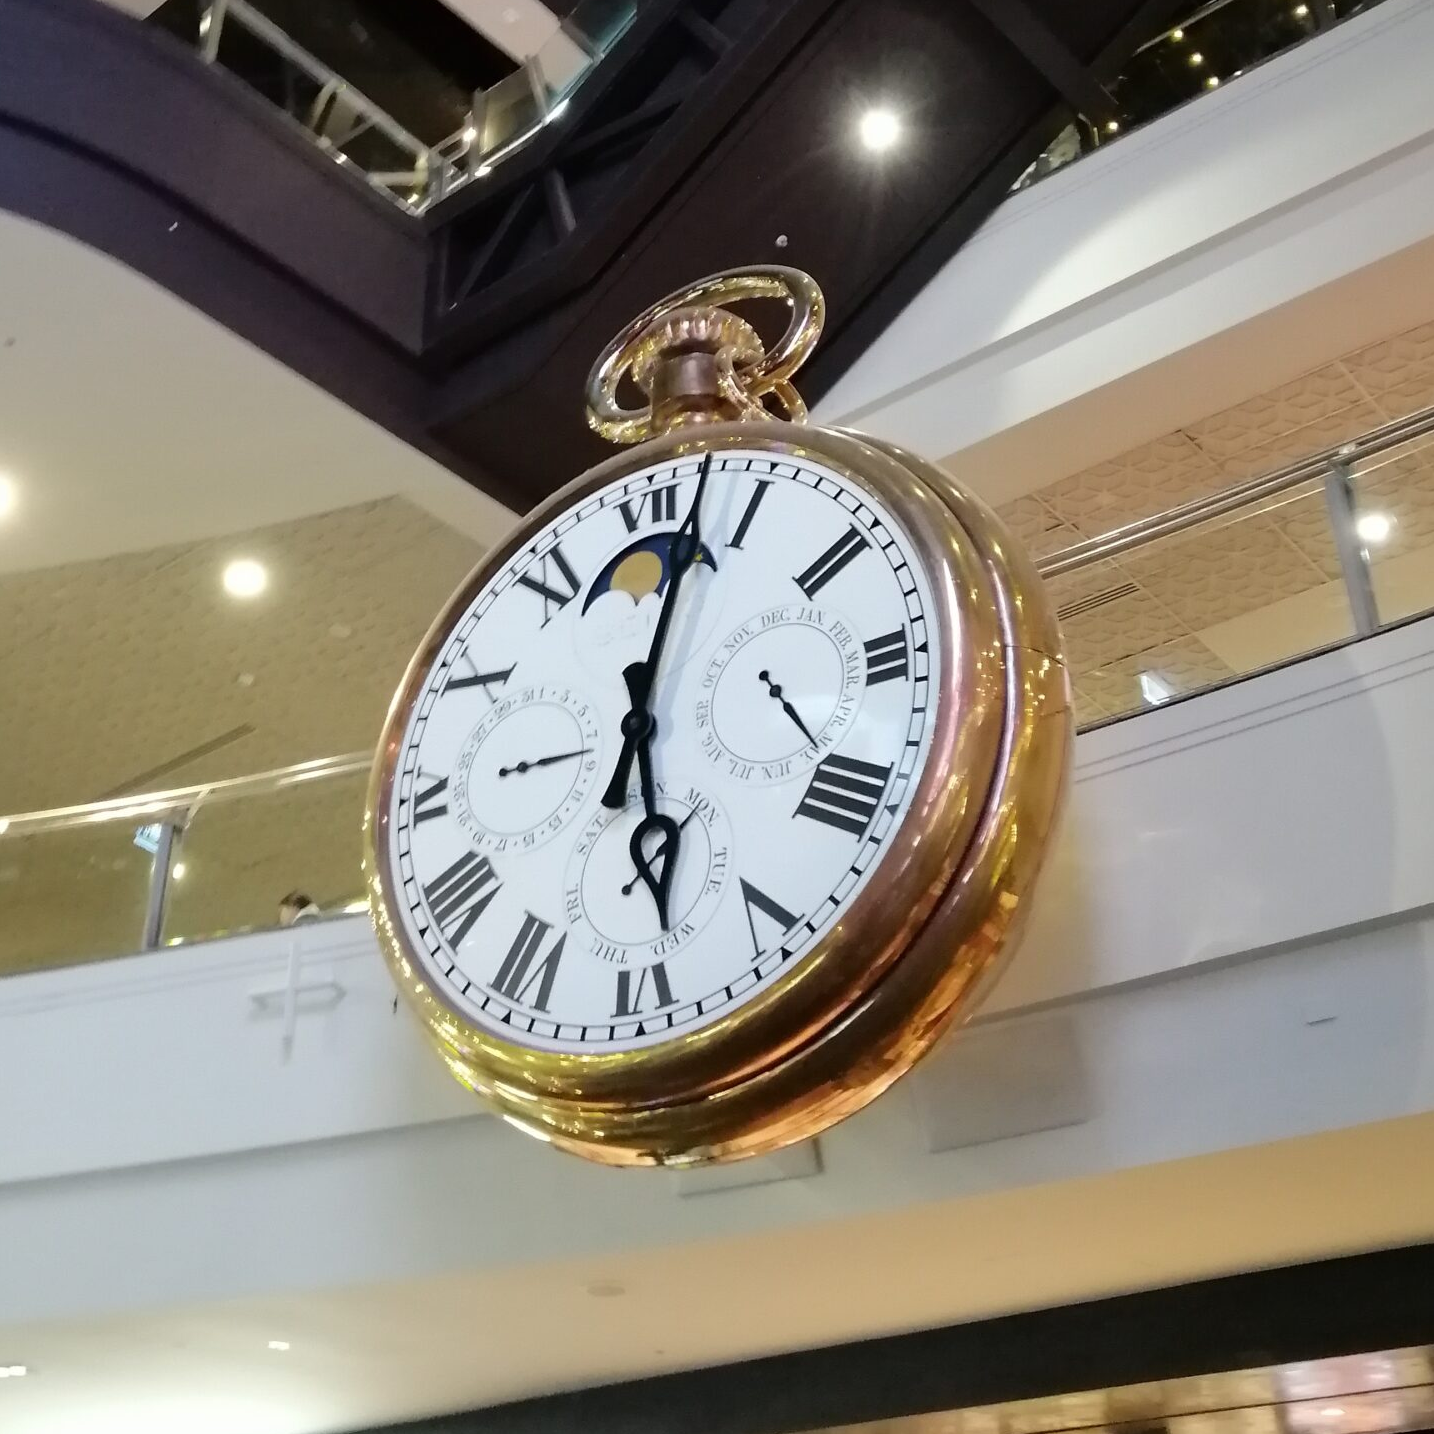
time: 6:02
